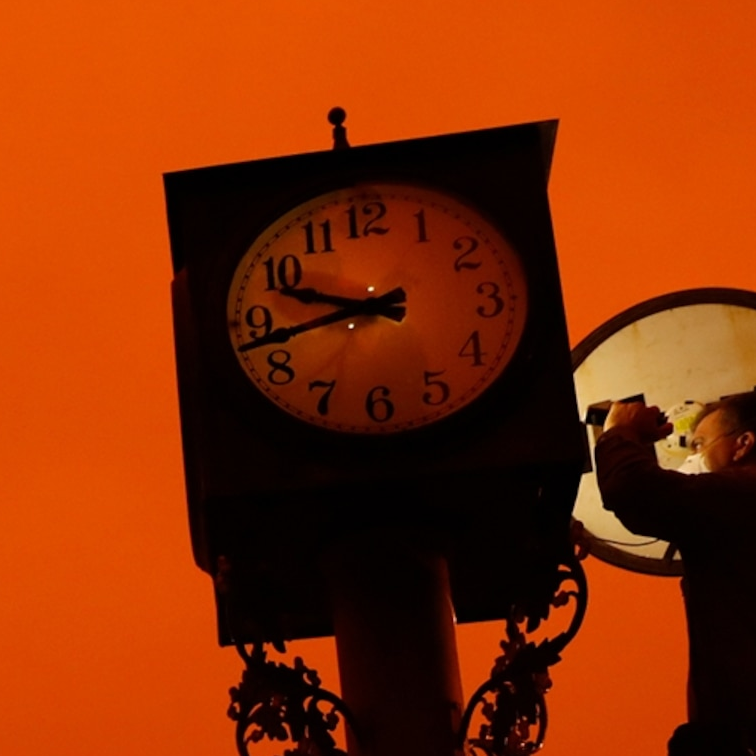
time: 9:42
